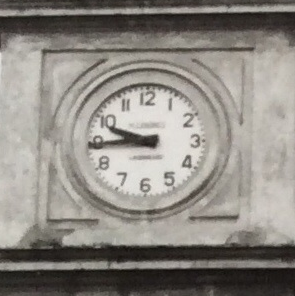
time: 9:44
